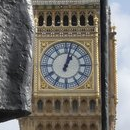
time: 1:02
